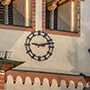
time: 9:12
